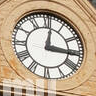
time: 12:15
